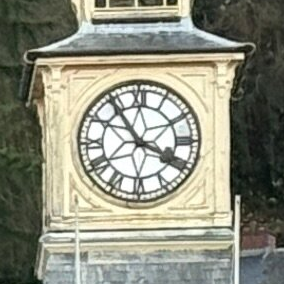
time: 3:54
